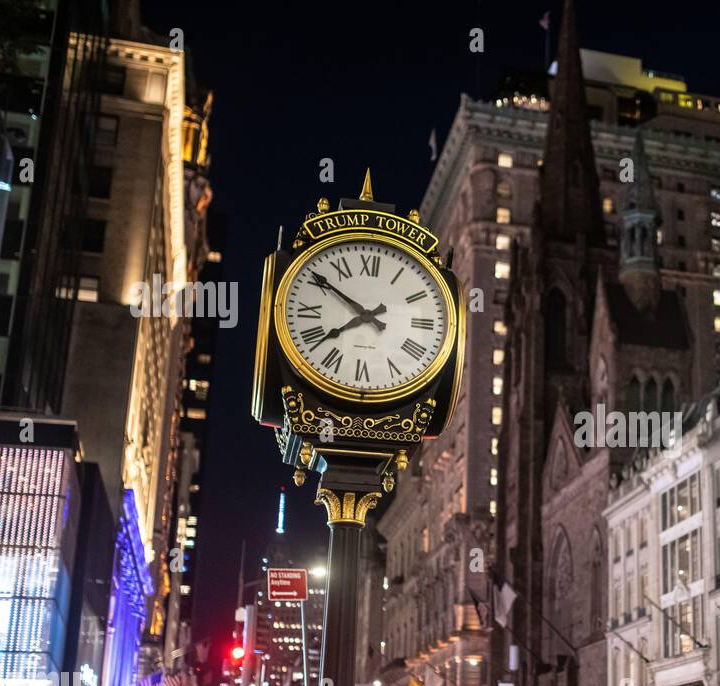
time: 7:50
